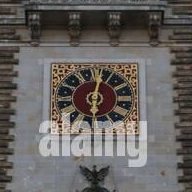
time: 6:02
